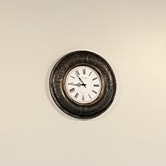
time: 8:53
